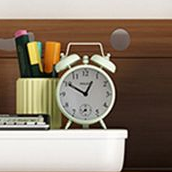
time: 12:50
